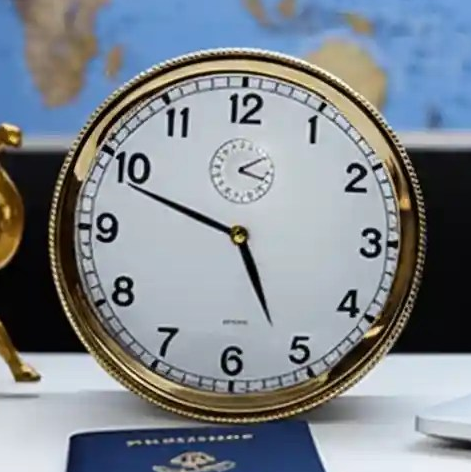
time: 4:48
